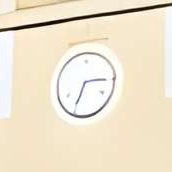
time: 6:14
